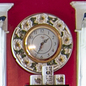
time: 1:34
